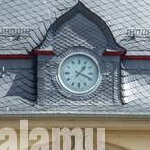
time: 1:18
